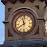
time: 11:40
